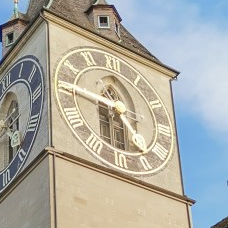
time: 4:45
